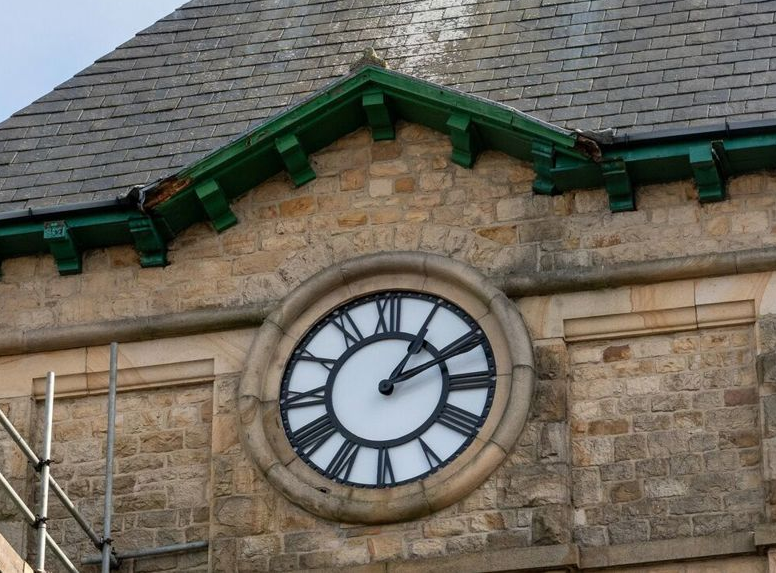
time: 1:10
